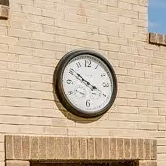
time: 3:50
